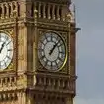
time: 1:07
